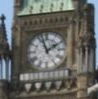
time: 1:57
